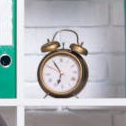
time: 6:54
